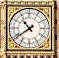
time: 10:39
